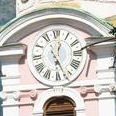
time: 12:26
